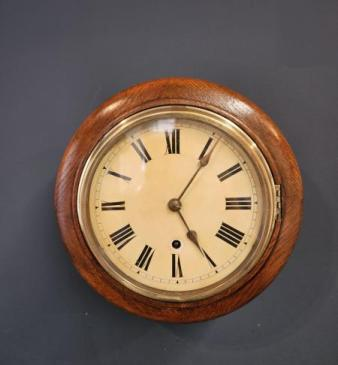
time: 5:05
